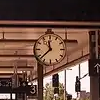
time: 11:37
